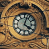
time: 4:02
